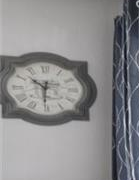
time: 10:30
